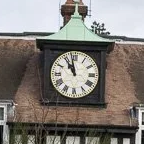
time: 10:58
